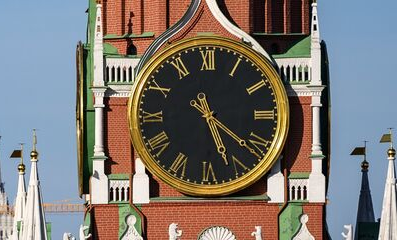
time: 5:21
